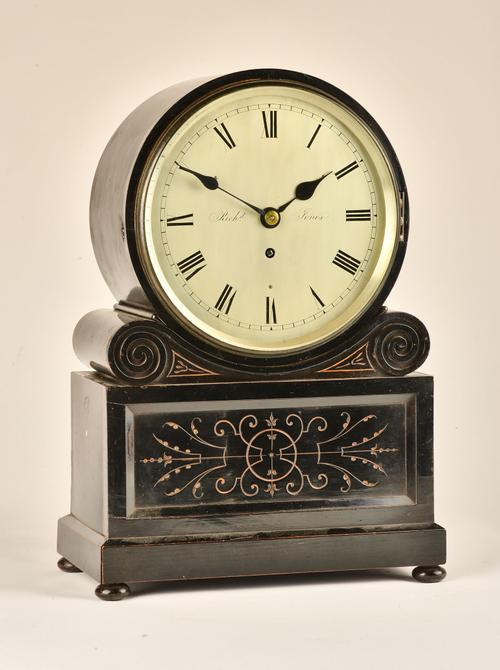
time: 1:50
